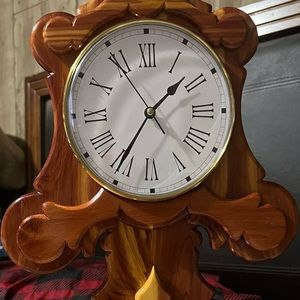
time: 1:35
